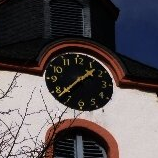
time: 1:37
